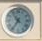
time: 10:36
